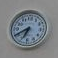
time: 6:40
